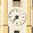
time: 7:37
